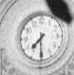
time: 7:30
